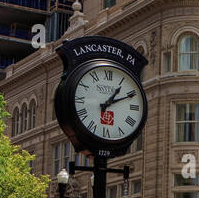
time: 1:10
